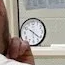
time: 4:21
